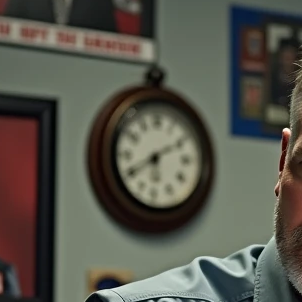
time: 5:40
